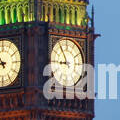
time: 8:54
